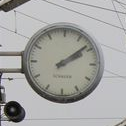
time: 2:08
